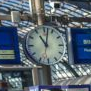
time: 11:02
